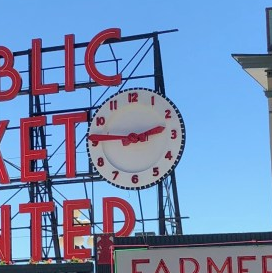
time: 2:45
